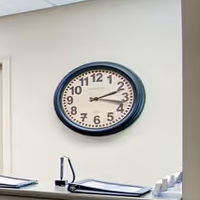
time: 2:17
